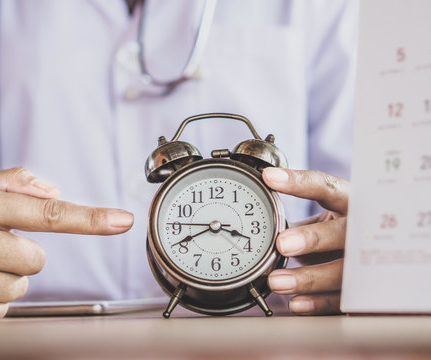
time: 3:41
